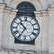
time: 10:35
